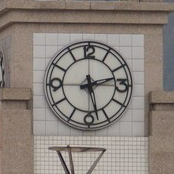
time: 2:27
